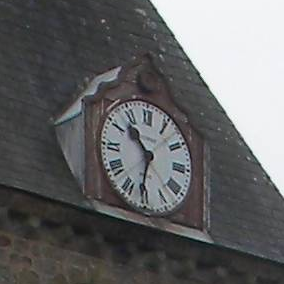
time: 10:31
